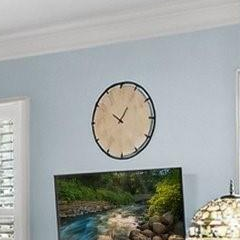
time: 10:05
